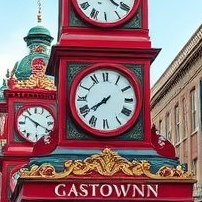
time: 7:39
